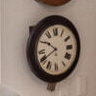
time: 7:50
